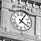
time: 4:04
